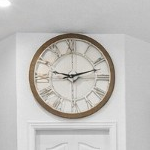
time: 9:12
